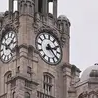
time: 2:21
